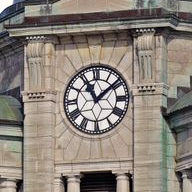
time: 11:08
